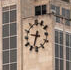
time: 9:33
